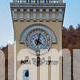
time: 4:02
